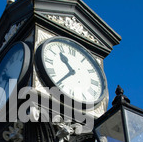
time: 10:36
